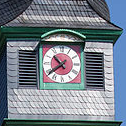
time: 10:38
